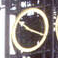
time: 10:18
